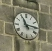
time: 11:14
